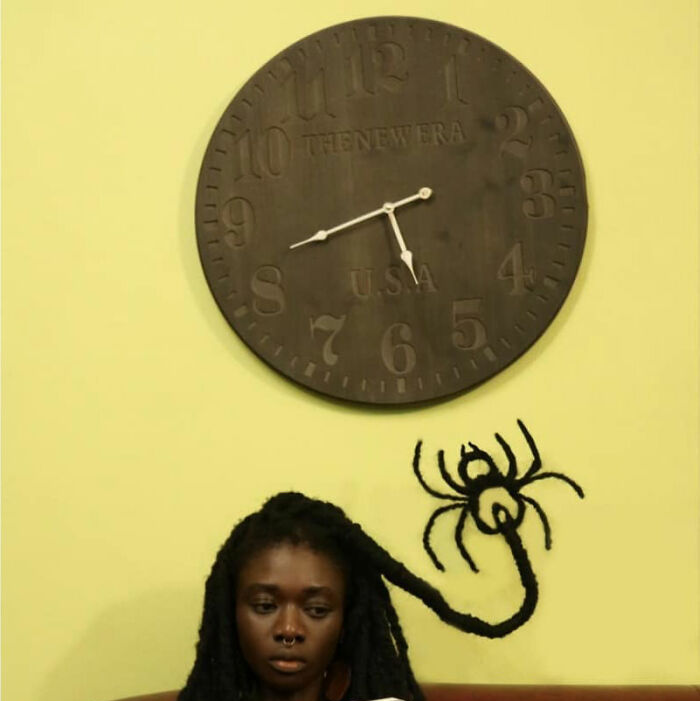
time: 5:42
